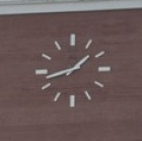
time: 1:42
